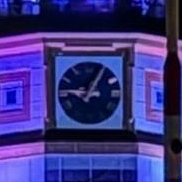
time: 9:05
